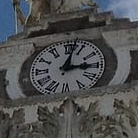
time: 3:02
